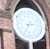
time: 2:34
